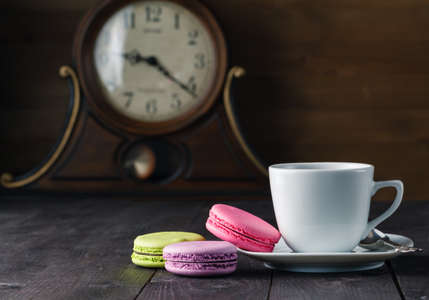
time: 9:21
